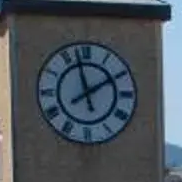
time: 1:57
